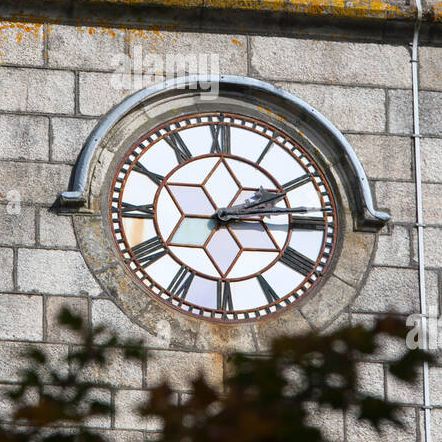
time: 2:14
